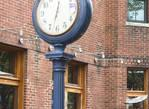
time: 12:32
